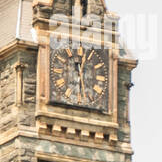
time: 11:28
